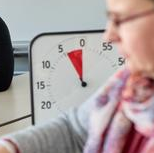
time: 11:55
